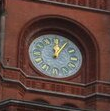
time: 12:05
